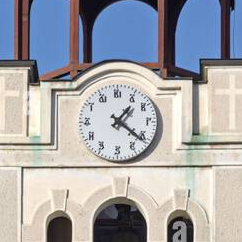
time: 1:21
